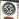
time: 10:36
